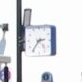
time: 2:36
